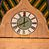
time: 7:59
